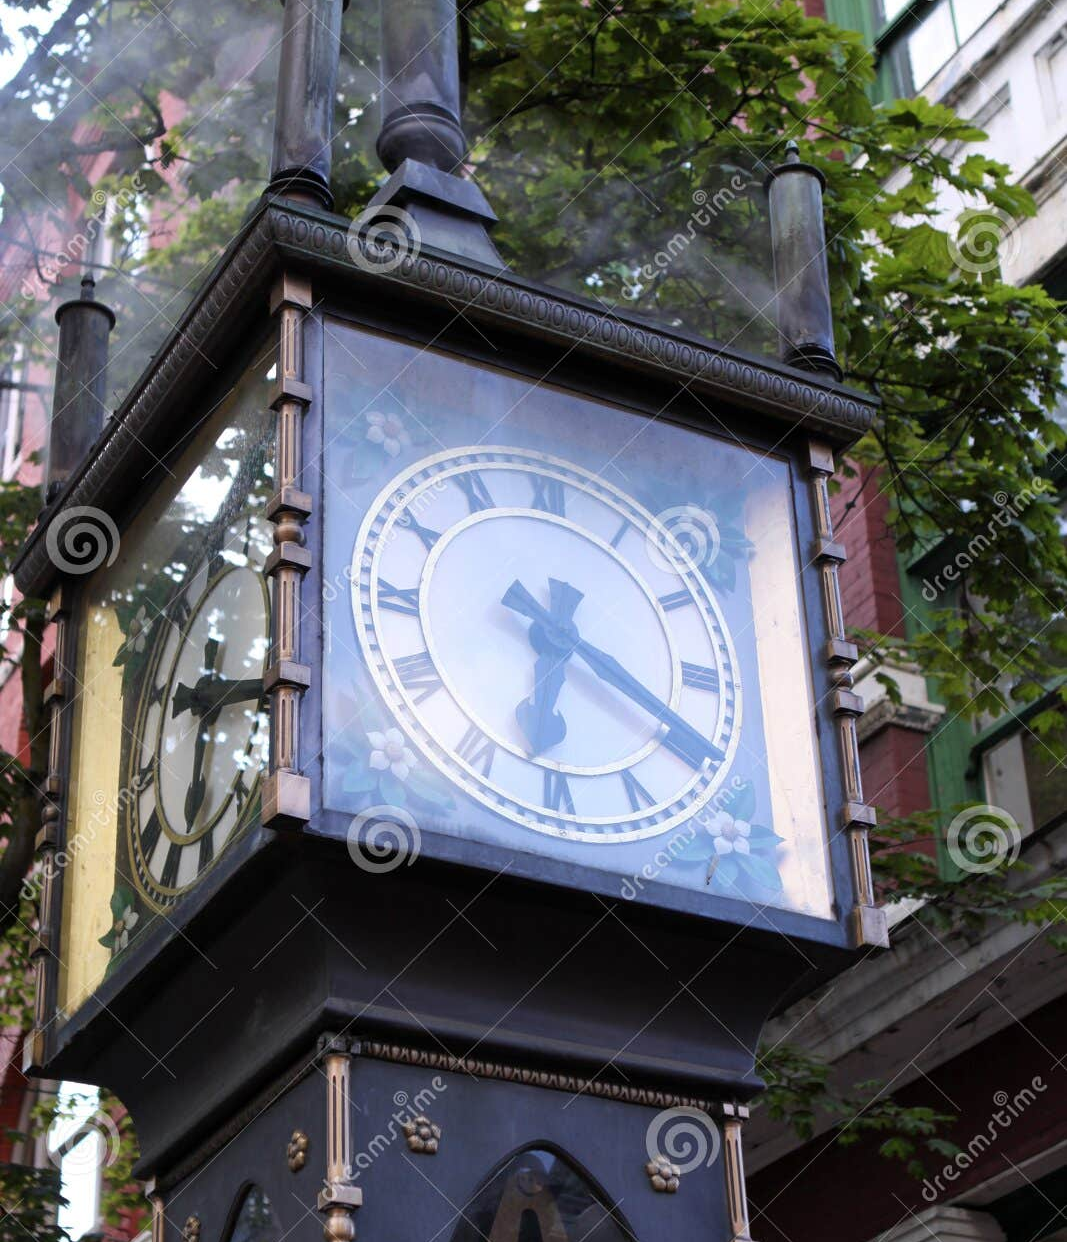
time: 6:19
